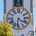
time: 4:31
